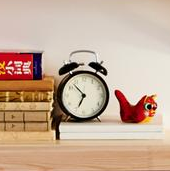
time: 6:52
